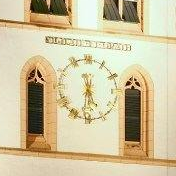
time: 5:31
